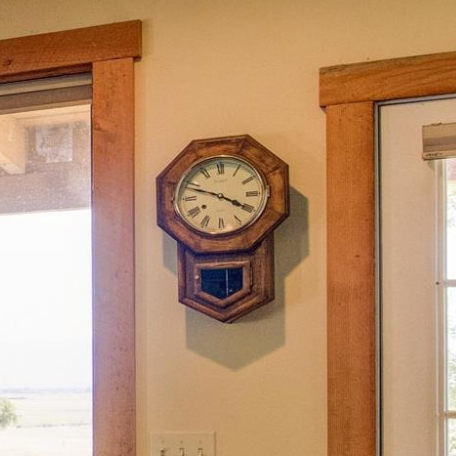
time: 3:48
